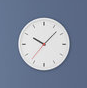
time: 10:07
